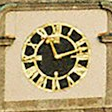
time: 11:11
